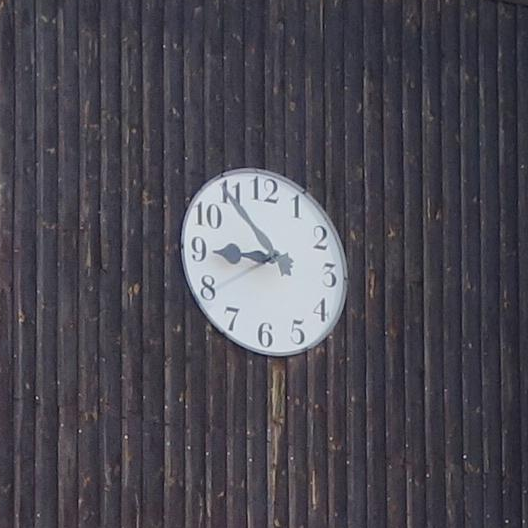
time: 8:53
